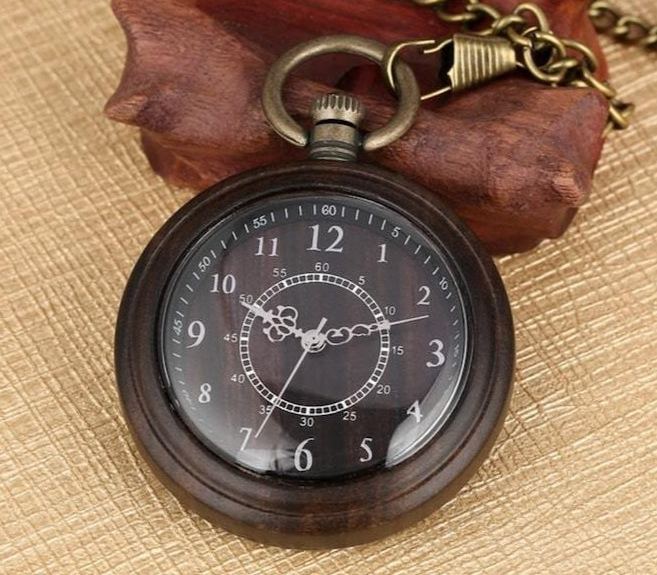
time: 2:33
